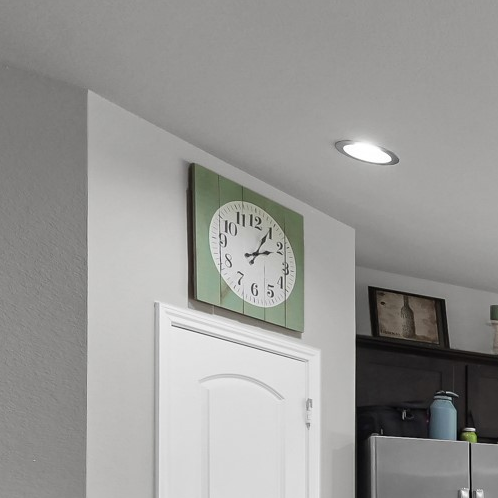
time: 2:04
